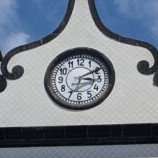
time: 3:10
